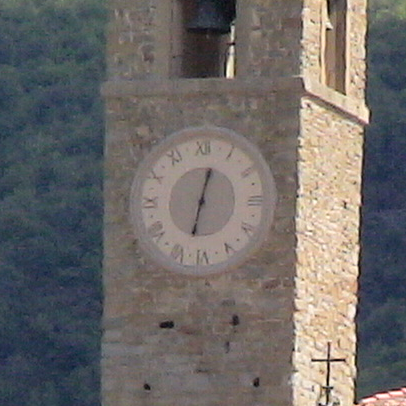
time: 12:32
